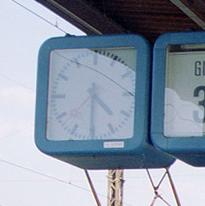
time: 4:30
